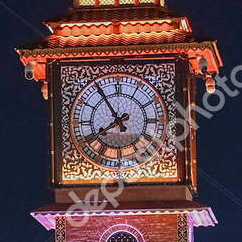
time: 7:54
